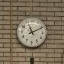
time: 11:10
